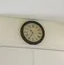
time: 10:35
